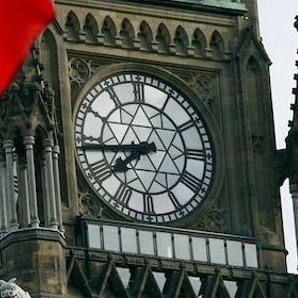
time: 7:43
